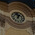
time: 12:57
